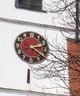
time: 2:21
